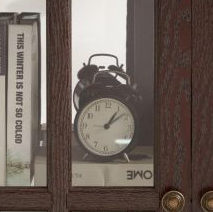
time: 1:08
